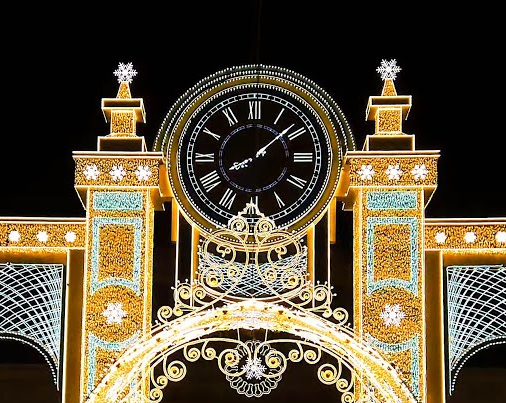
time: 8:08
